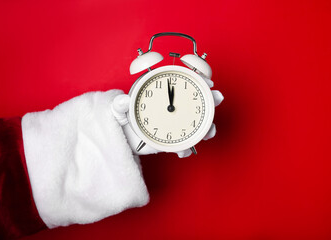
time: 11:58
